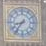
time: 8:36
